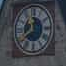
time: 11:39
